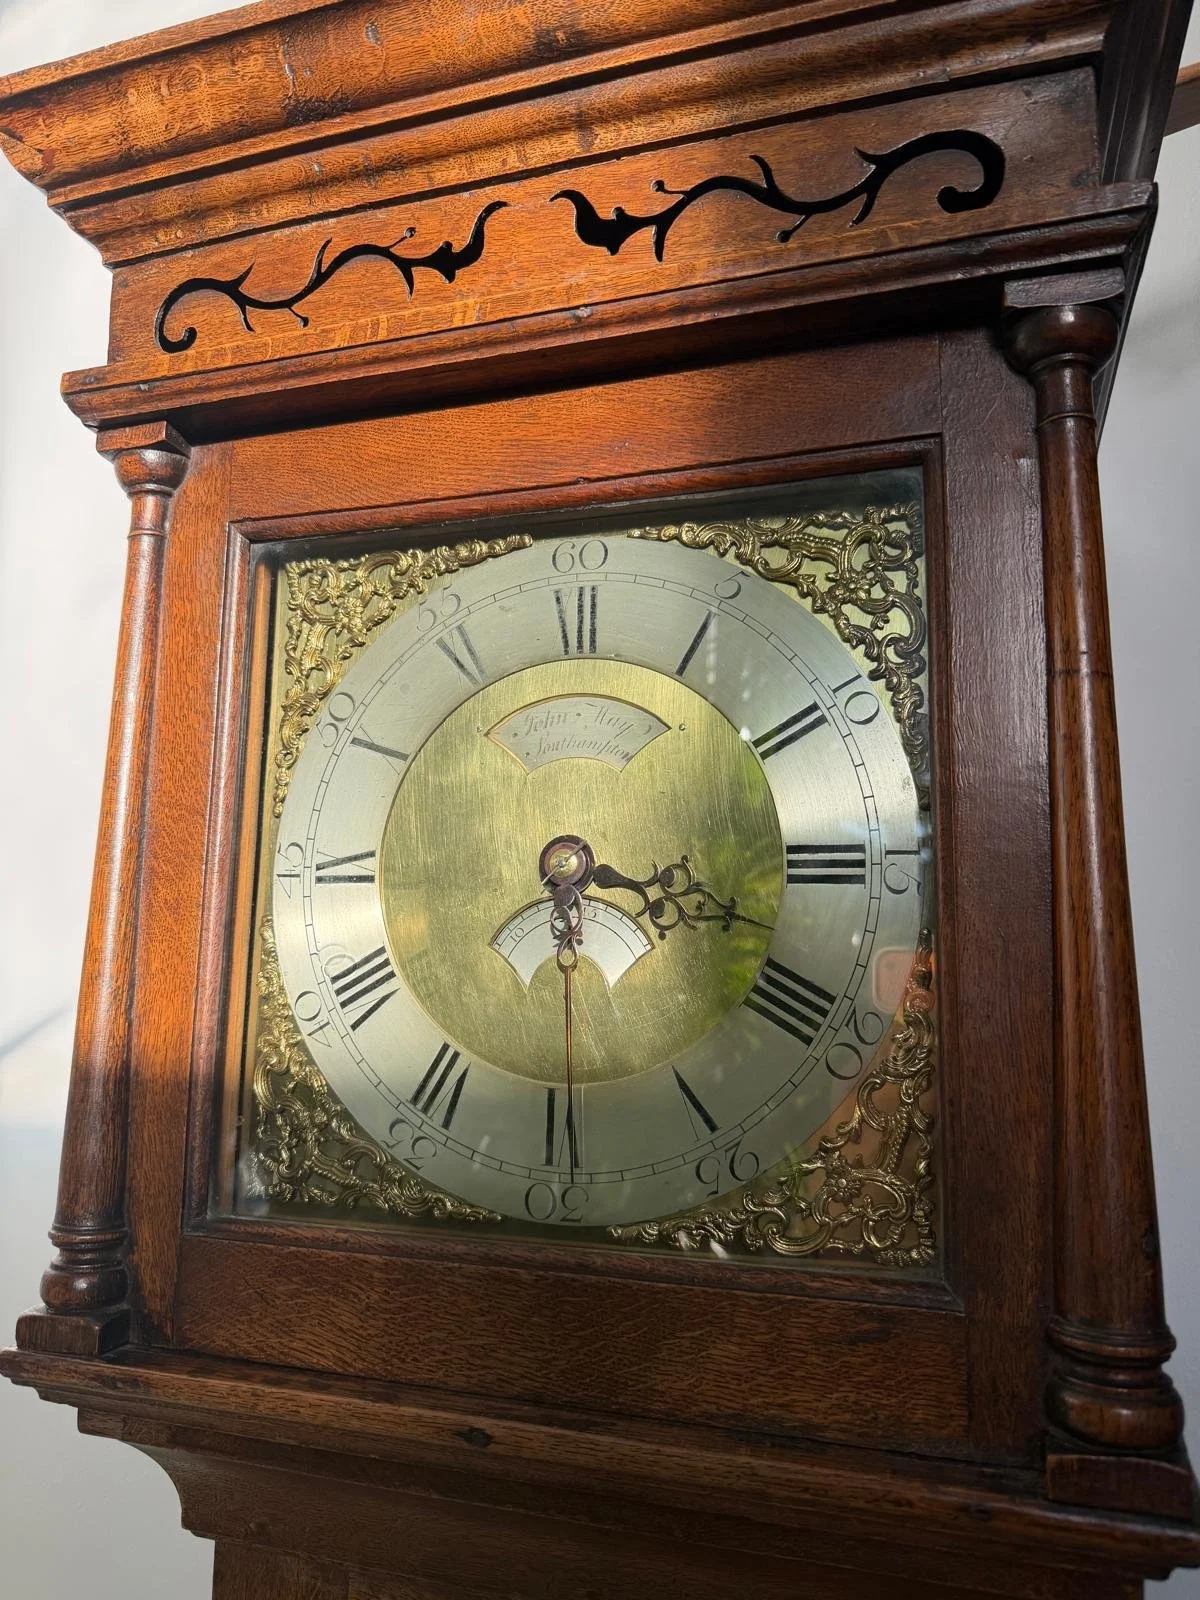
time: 3:30
